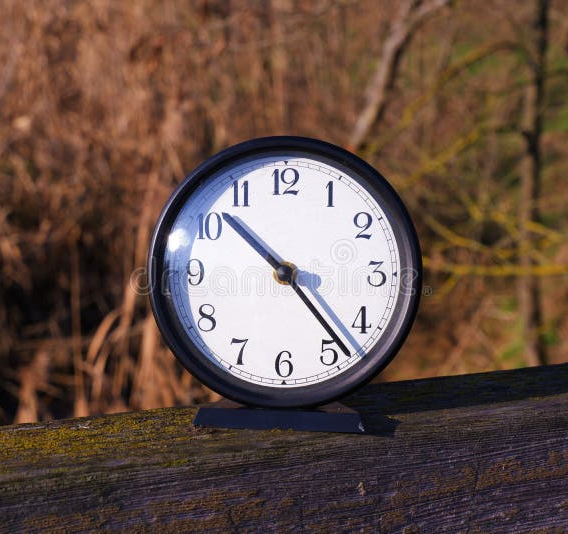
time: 10:23
